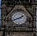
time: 1:41
